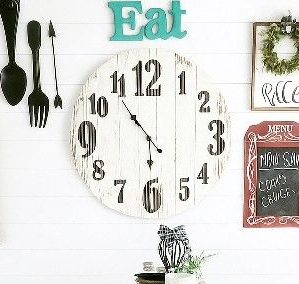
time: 5:53
